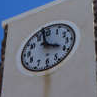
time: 3:58
